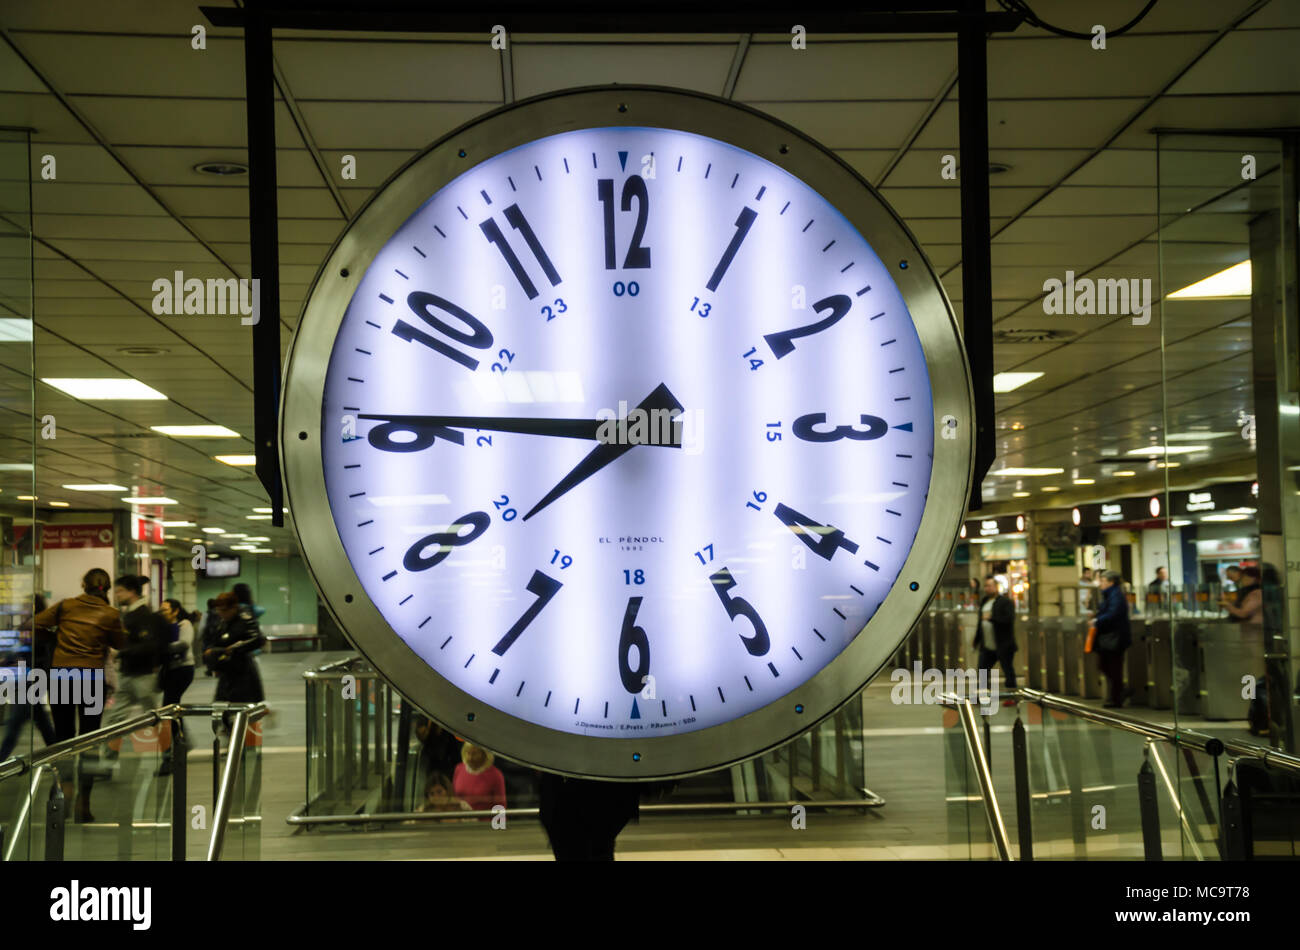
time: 7:45
